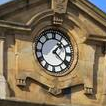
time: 1:21
